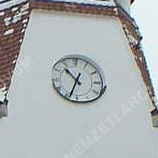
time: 10:34
